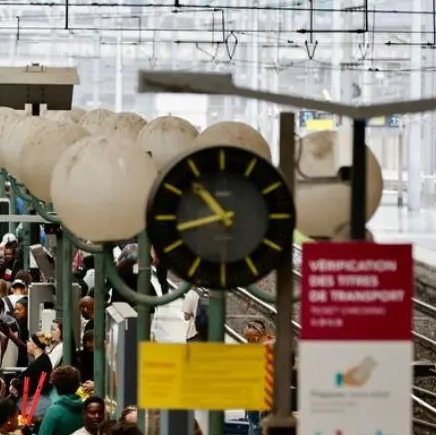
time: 10:42
